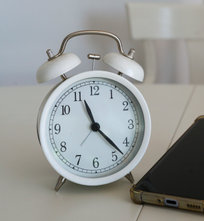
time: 11:22
